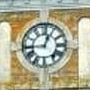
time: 12:44
